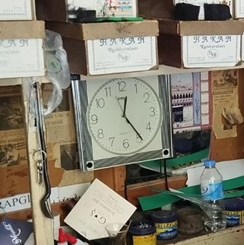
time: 12:24
